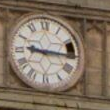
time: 9:14
